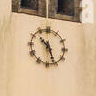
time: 10:26
